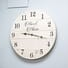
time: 9:17
